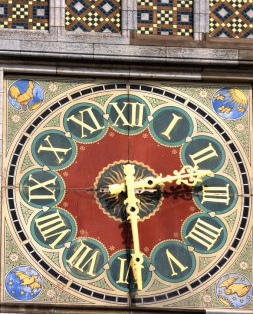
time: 2:29
